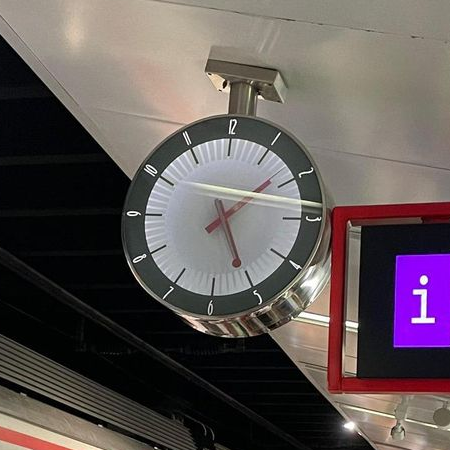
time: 5:08
